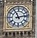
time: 11:13
